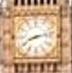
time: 8:12
